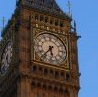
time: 5:36
